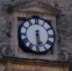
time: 5:30
